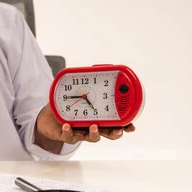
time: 4:45
